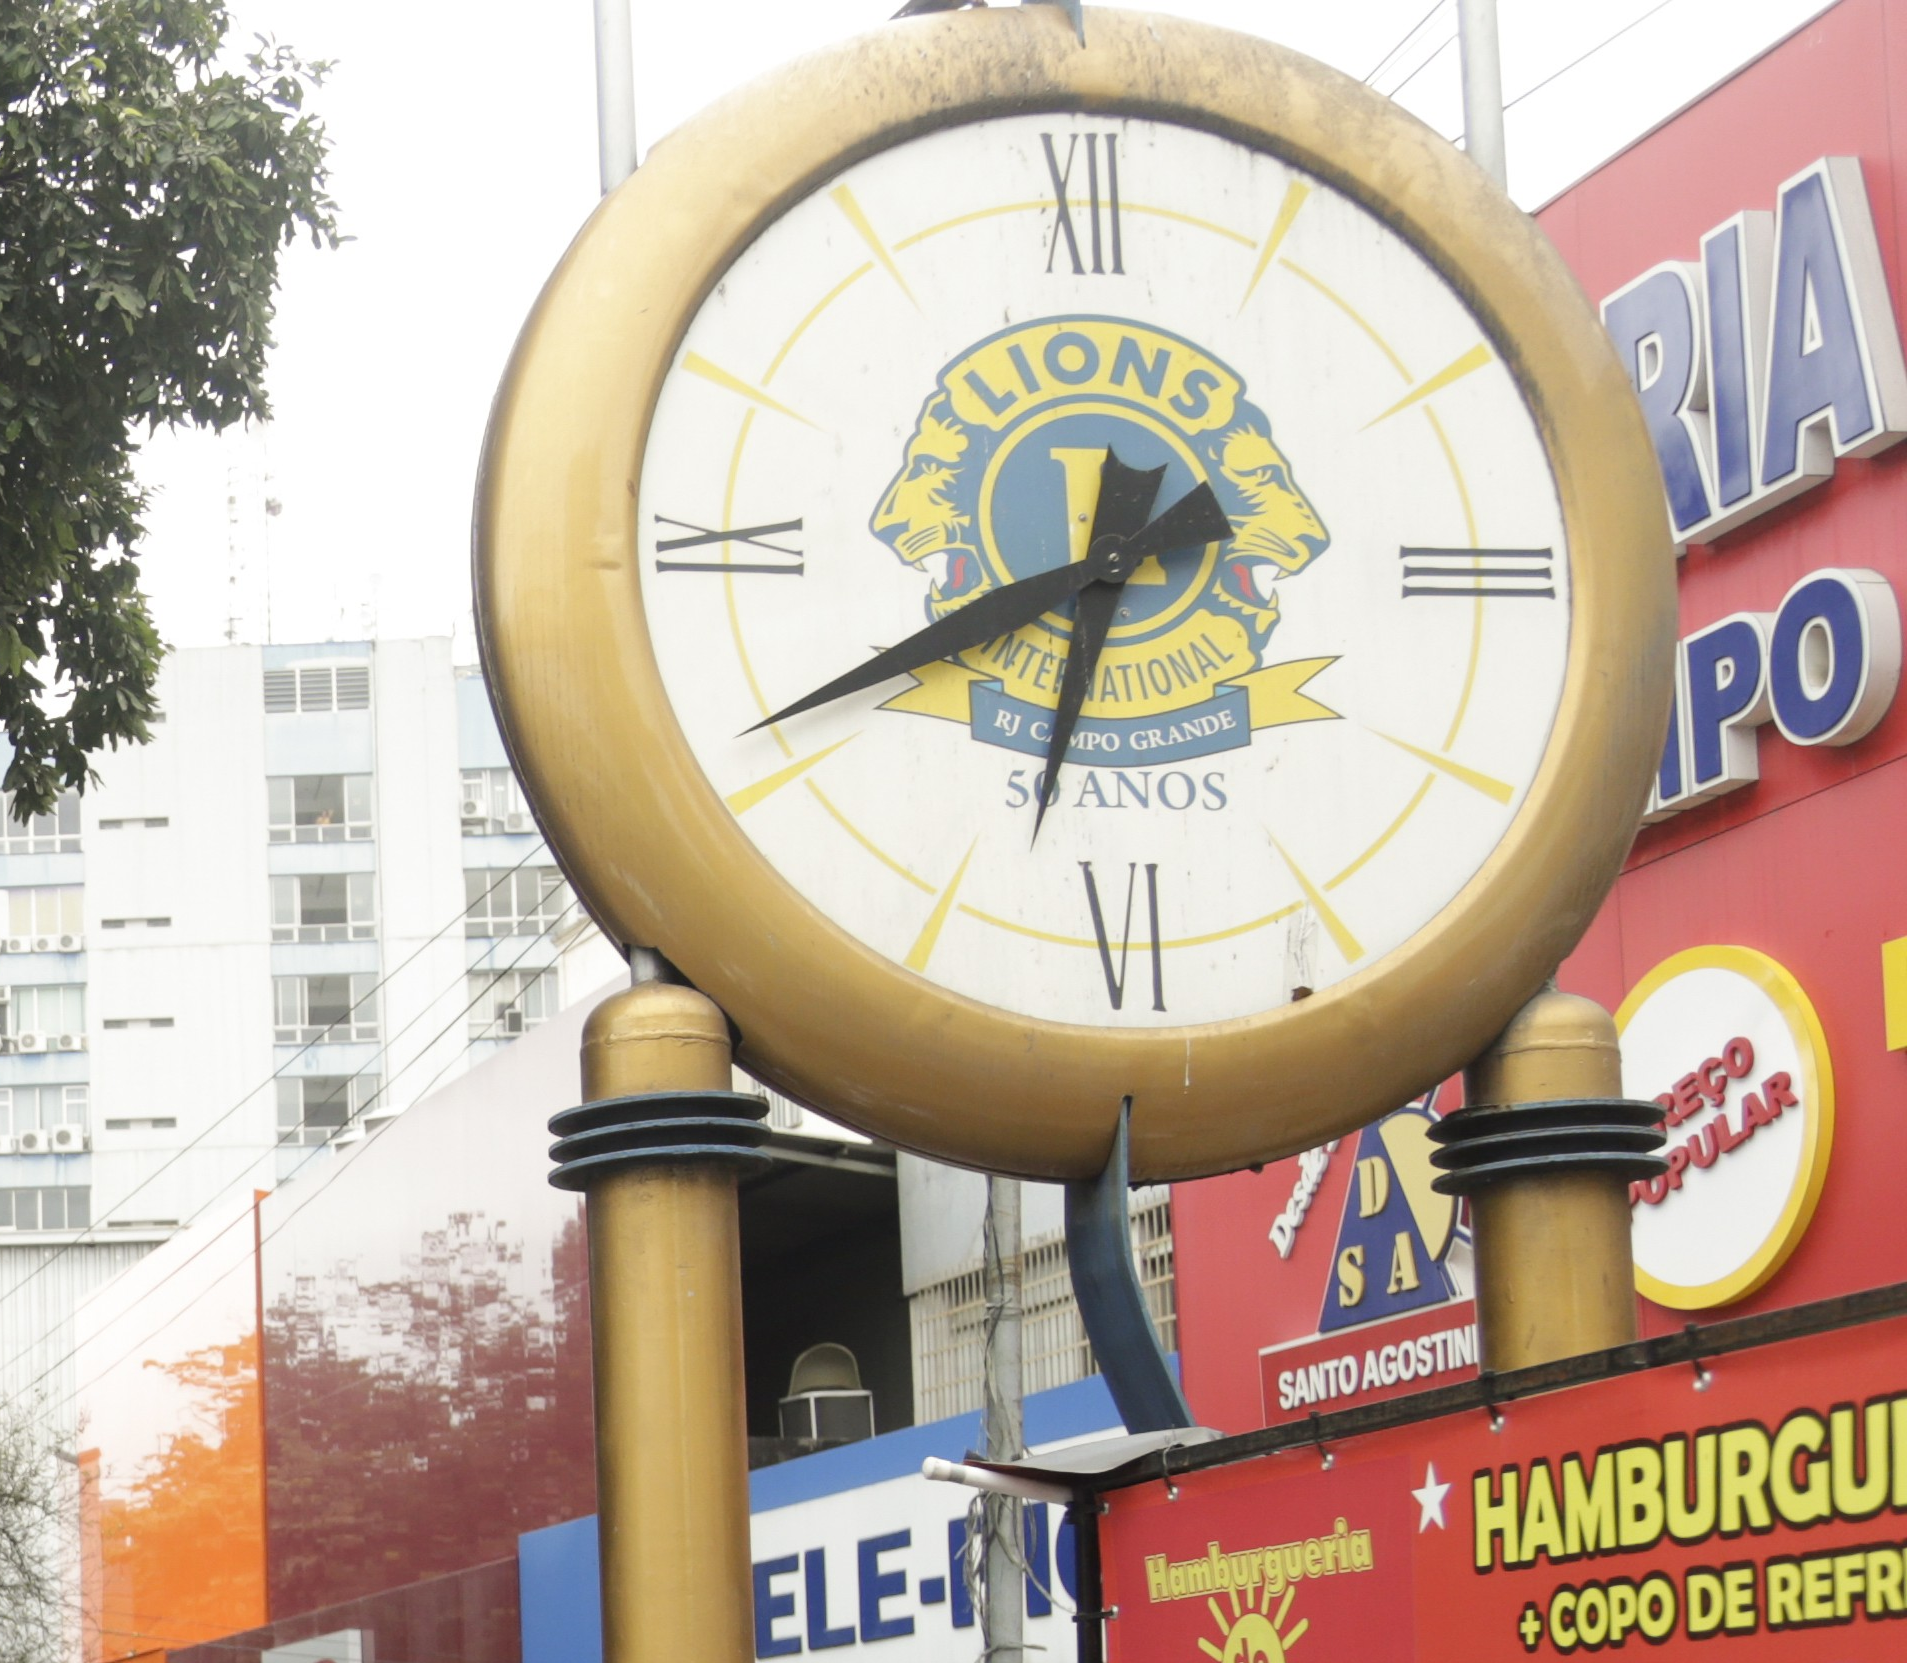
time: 6:40
